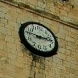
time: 2:46
